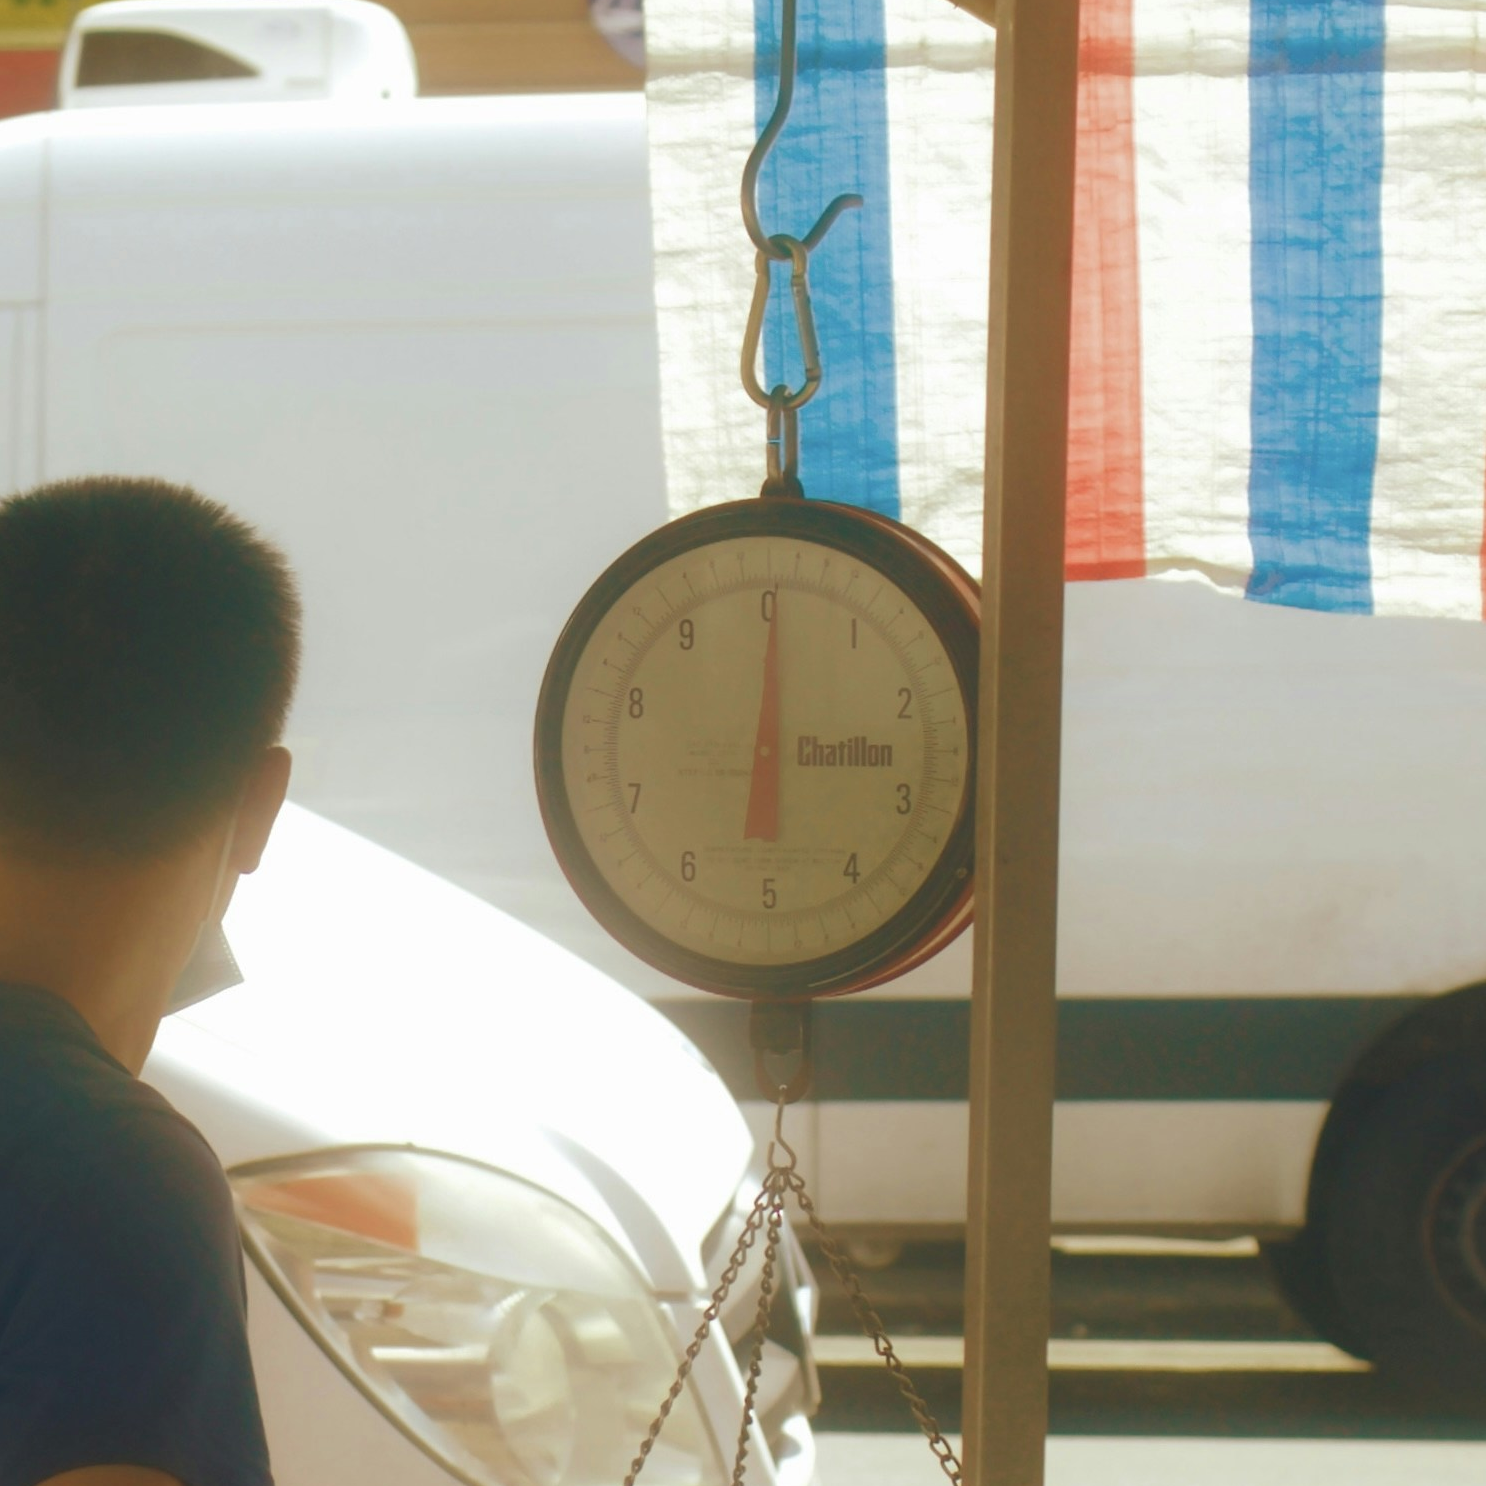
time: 6:00
